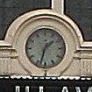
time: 1:33
